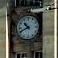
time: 10:41
